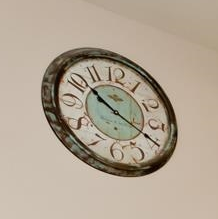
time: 10:19
